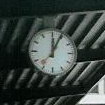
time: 12:04
